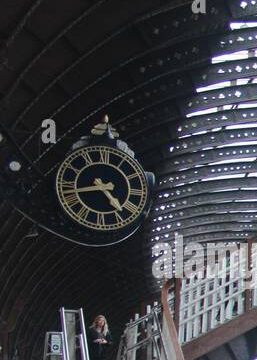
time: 4:42
